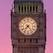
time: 7:23
